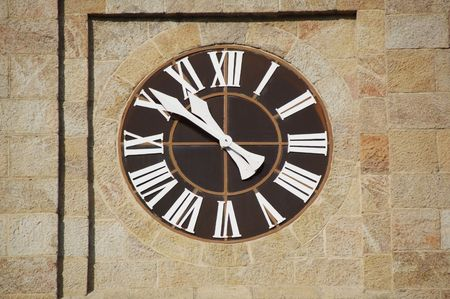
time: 10:50
